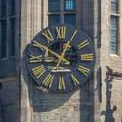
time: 12:50
